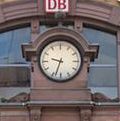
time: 9:33
